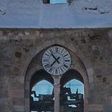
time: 10:36
